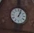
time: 1:03
